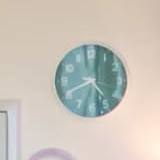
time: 4:40
